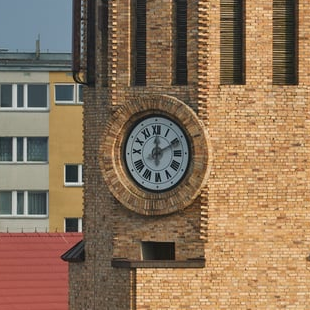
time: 12:10
